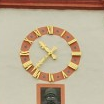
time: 10:37
